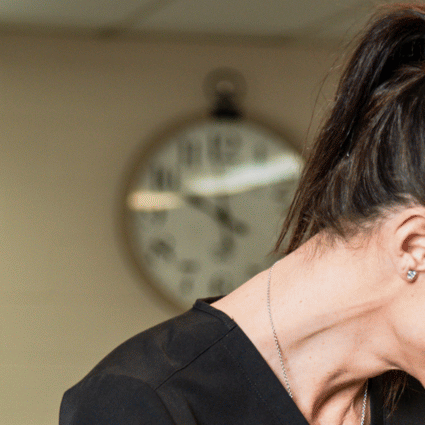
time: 5:49
